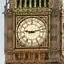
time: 9:12
